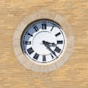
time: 3:23
